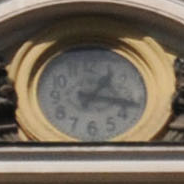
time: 1:16
